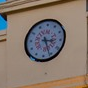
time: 3:26
